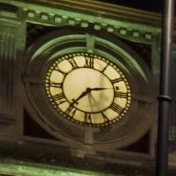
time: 2:36
